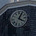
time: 4:04
